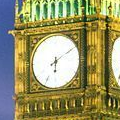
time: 6:09
